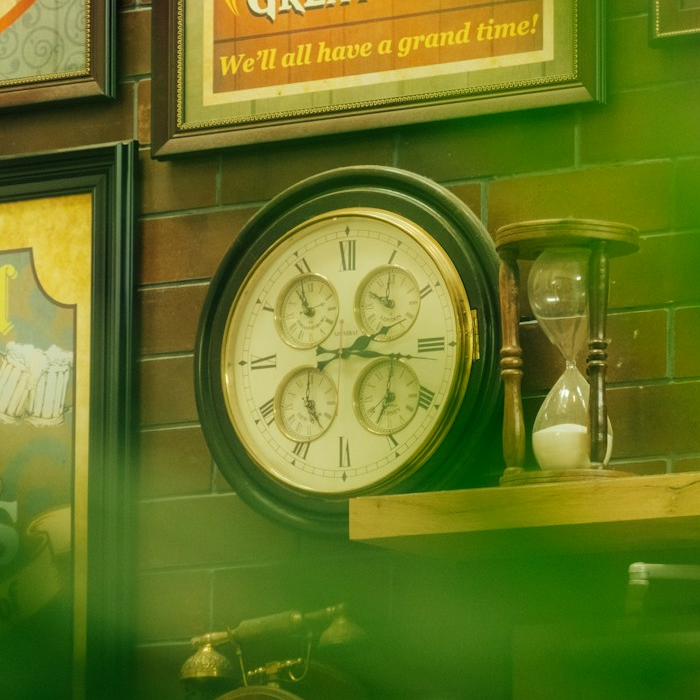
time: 2:42
